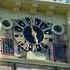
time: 5:59
